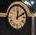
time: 12:10
